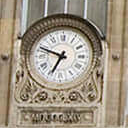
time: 6:48
